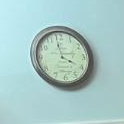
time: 3:58
